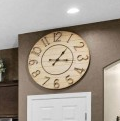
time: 1:16
